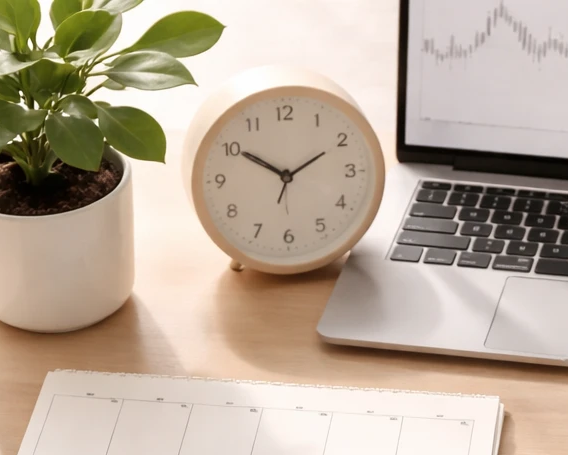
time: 1:50
